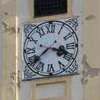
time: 3:38
